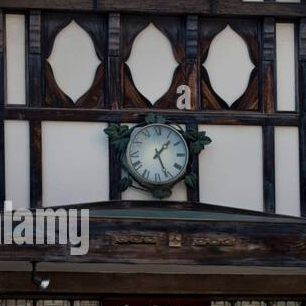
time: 1:25
